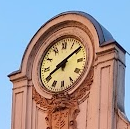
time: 8:09
